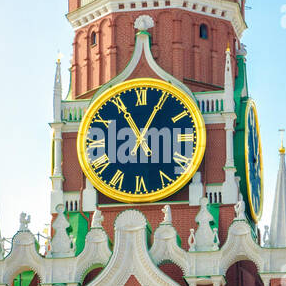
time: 11:04
